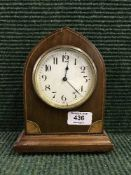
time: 12:22
